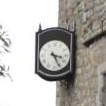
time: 3:24
